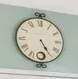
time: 4:24
